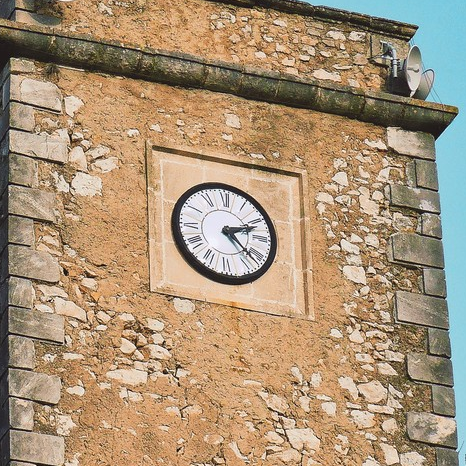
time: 2:21
